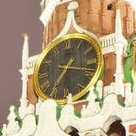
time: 7:17
